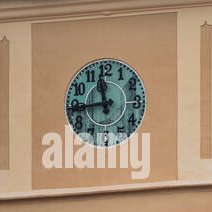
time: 11:44
